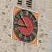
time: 8:52
